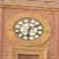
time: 6:10
